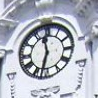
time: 11:32
